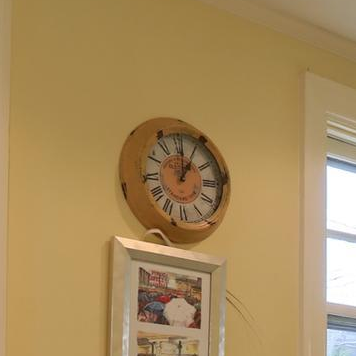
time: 1:00
